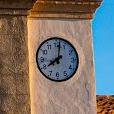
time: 8:01
